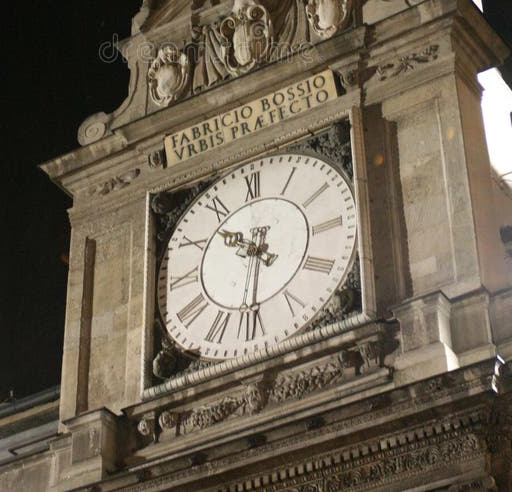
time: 10:31
